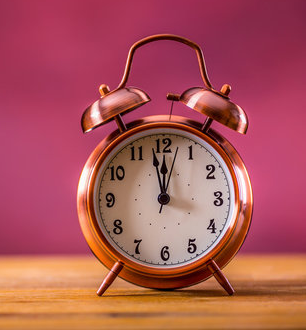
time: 11:58
